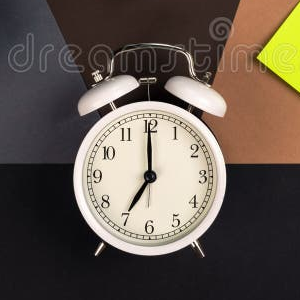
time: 7:00
